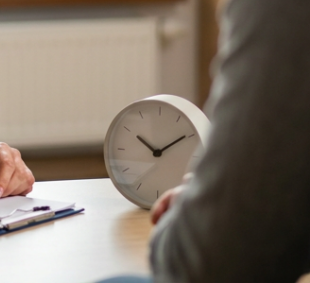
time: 10:09
